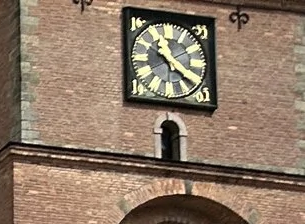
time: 11:21
